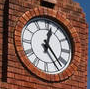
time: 12:23
